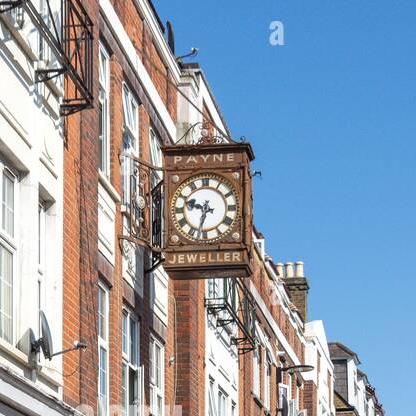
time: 9:33
